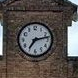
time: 7:13
